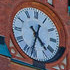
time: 4:32
